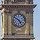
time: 4:50
